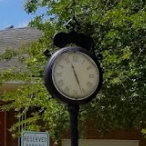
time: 11:26
